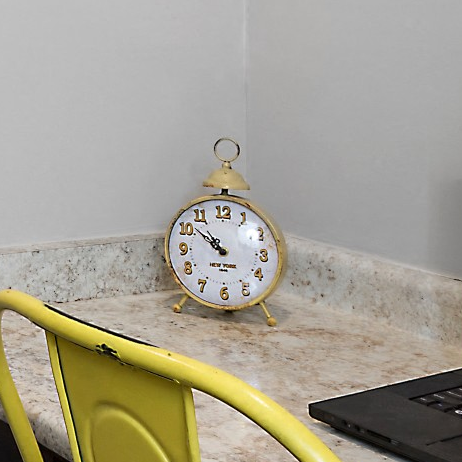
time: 10:51
